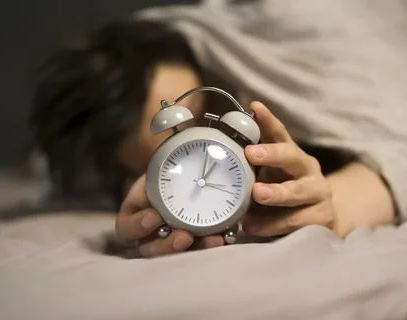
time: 12:16
